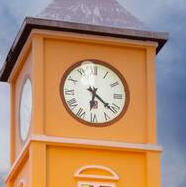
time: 6:21
